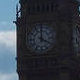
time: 4:00
